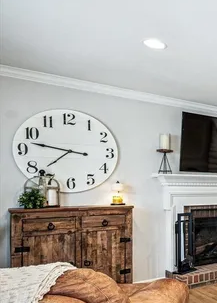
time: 7:46
